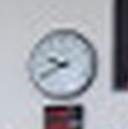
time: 9:40
